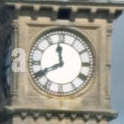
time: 11:40
